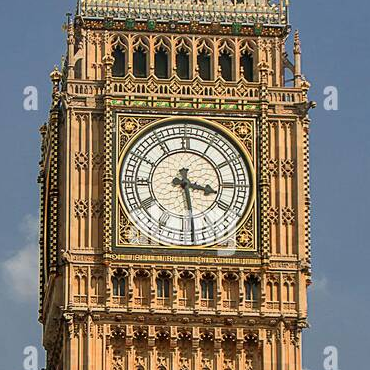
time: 3:28
